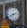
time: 8:12
